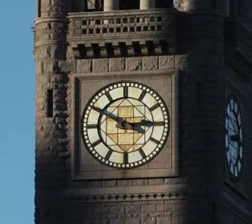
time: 2:49
